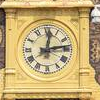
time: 12:13
